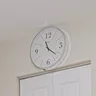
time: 11:21
